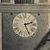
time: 2:26
